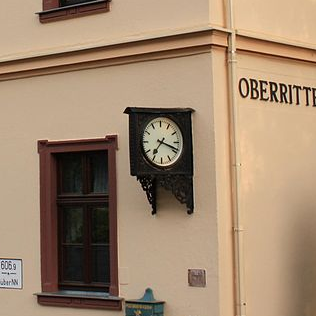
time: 7:18
